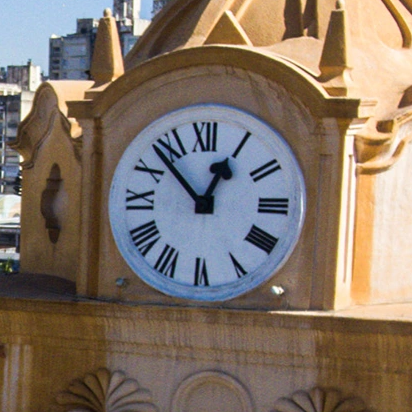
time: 12:52
